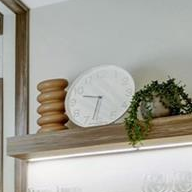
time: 9:32
